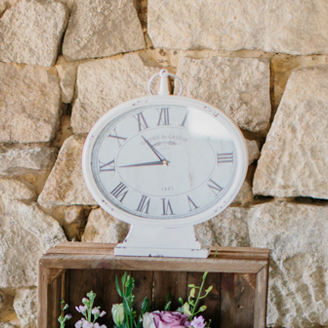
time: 10:44
